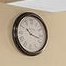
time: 10:17
